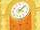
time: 4:07
